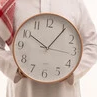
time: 10:06
